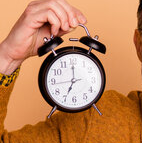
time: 7:00
